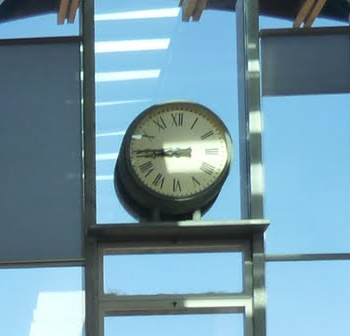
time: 8:45
